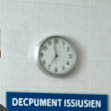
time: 6:58
